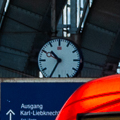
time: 10:34
